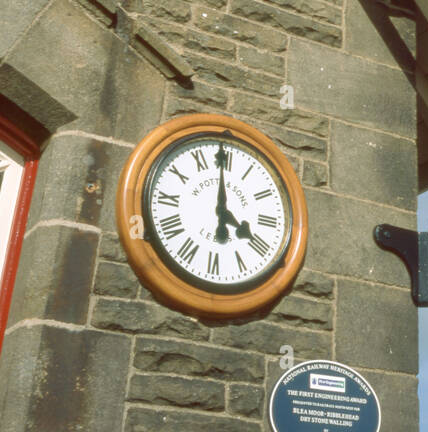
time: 3:59
